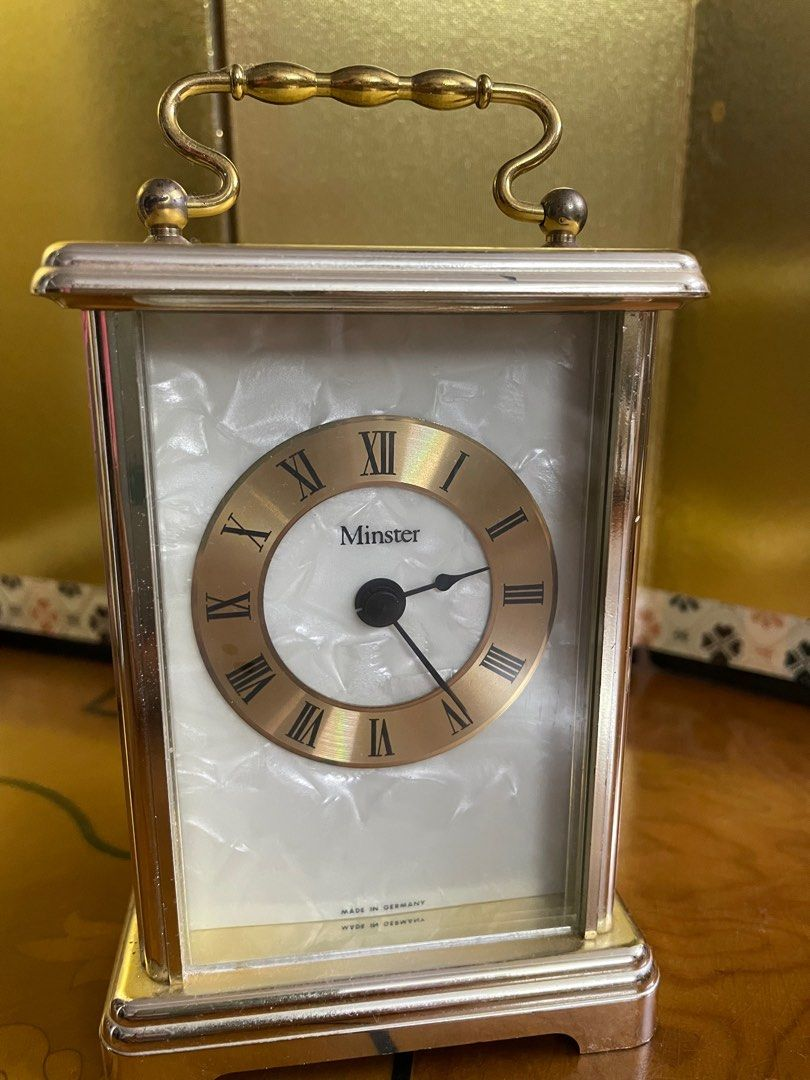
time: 2:23
